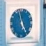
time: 4:57
